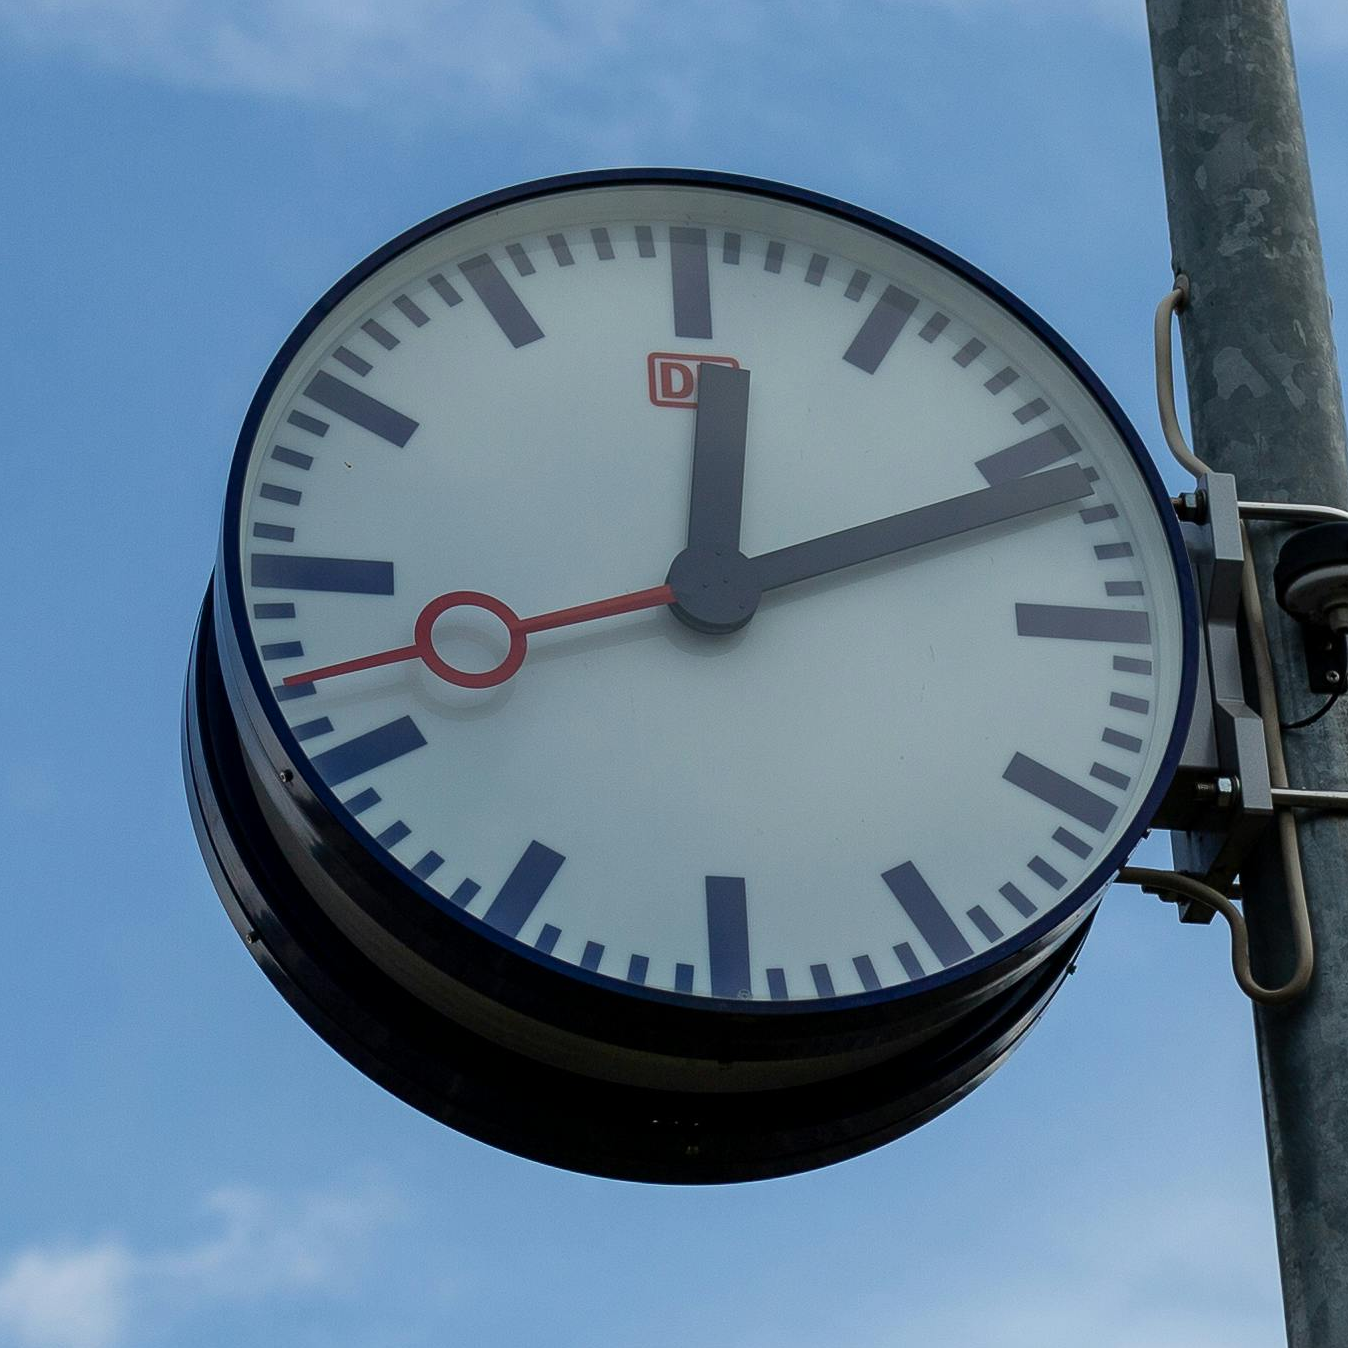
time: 12:11
